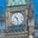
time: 10:28
